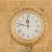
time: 11:47
